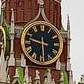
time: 9:29
